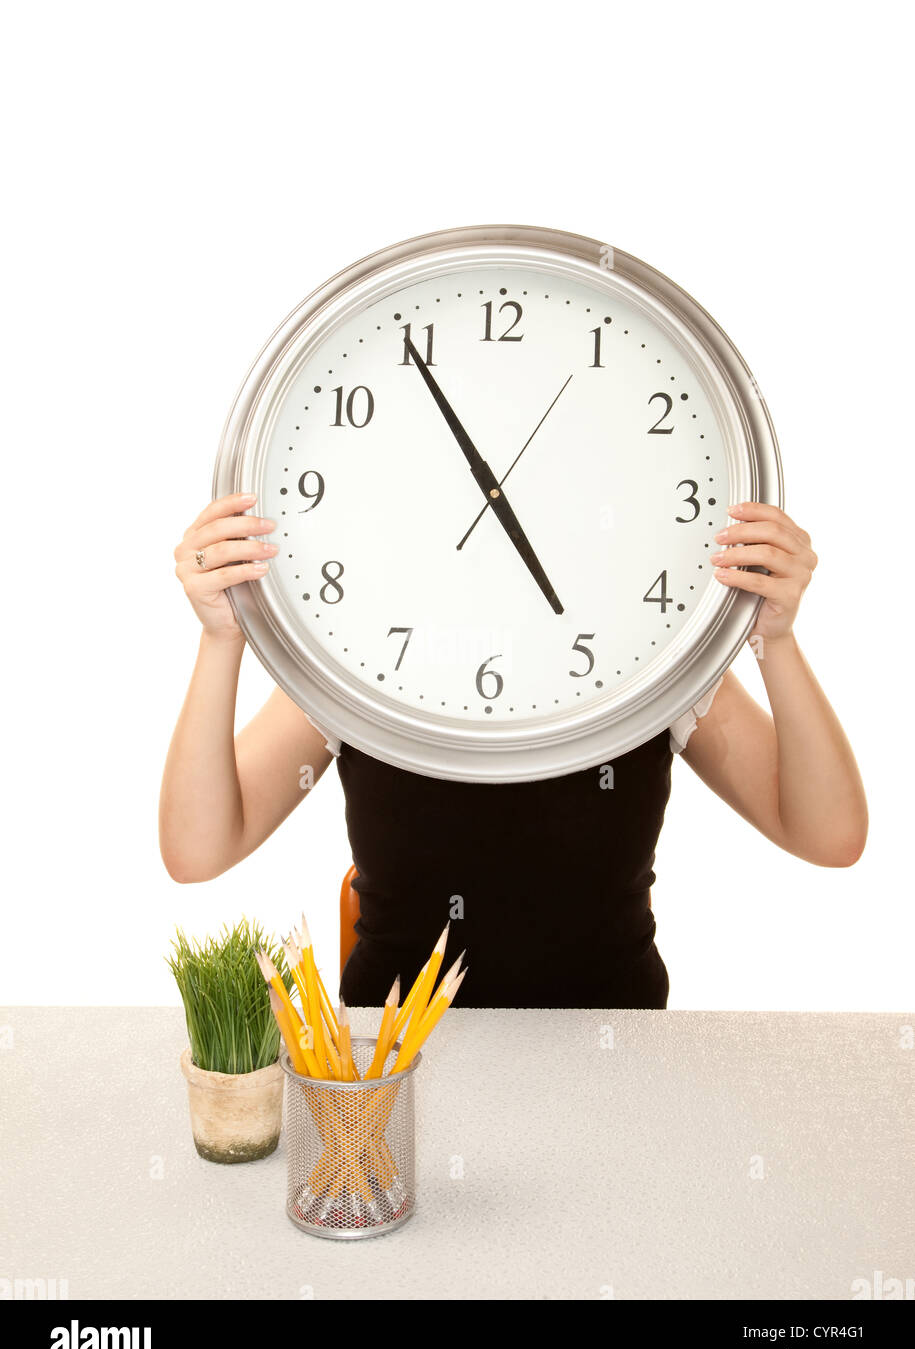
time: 4:54
